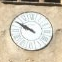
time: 9:50
